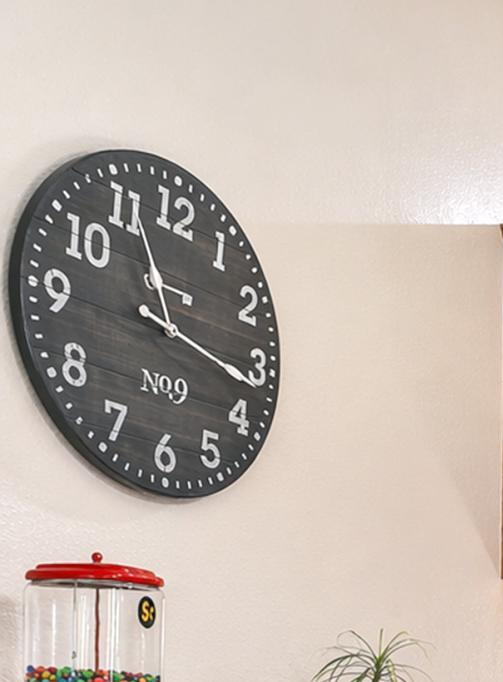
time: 11:17
